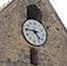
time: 4:45
